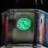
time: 5:21
